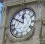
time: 11:49
